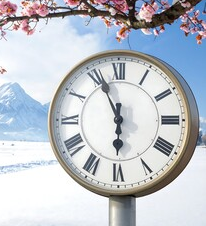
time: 5:55
